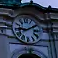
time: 9:10
